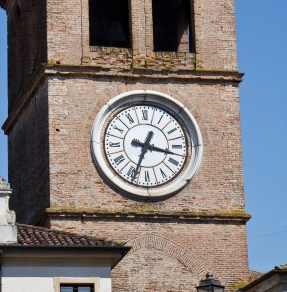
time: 3:33
